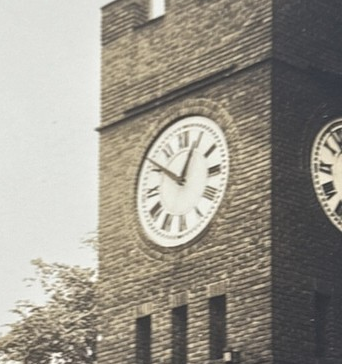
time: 12:51
